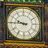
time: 9:45
